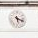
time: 5:18
